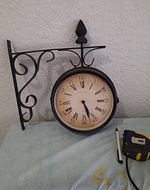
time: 5:26
